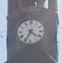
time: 4:34
